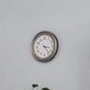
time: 3:23
